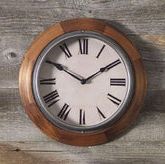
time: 1:50
